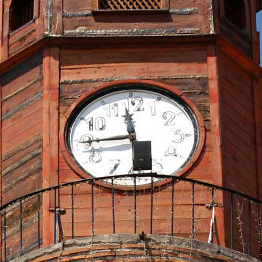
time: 11:44
